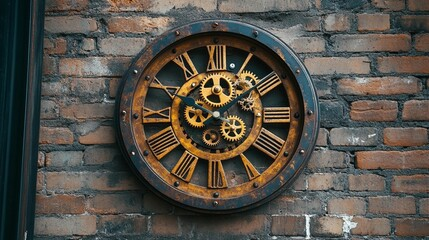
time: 1:49
